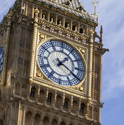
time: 1:20
